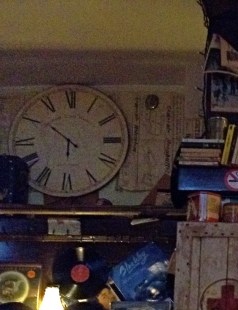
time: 5:51
